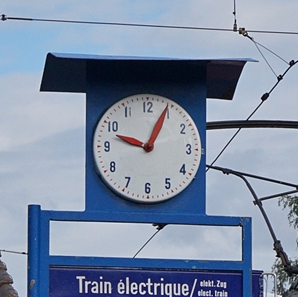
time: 12:48
